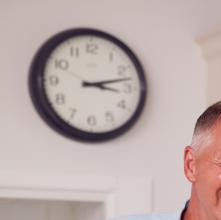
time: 3:12
